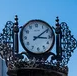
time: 3:09
